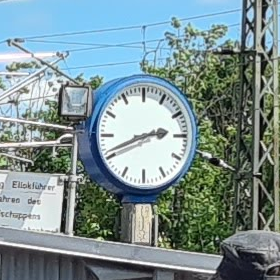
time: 2:41
